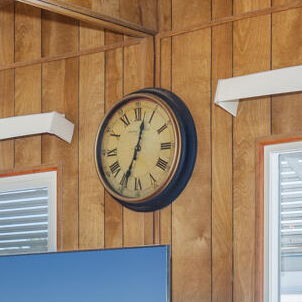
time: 12:34
